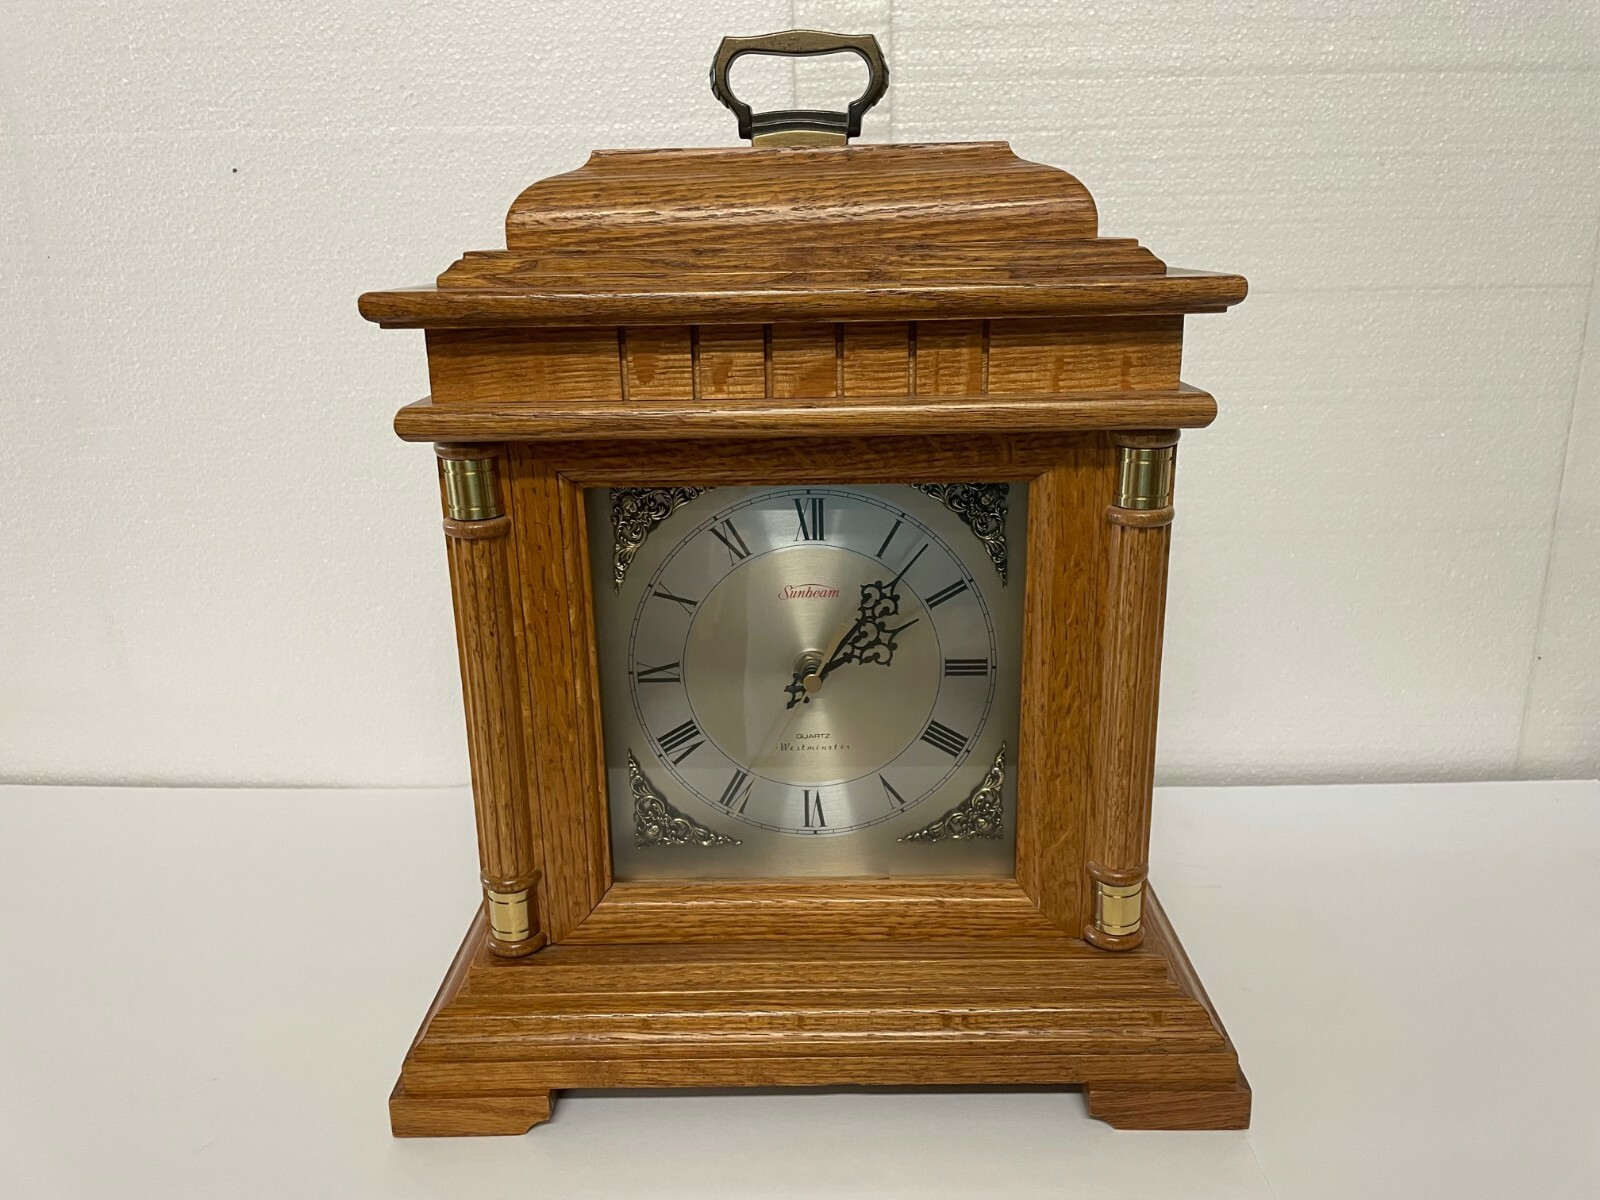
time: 1:09
